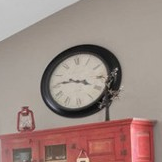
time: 3:46
